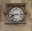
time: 8:15
